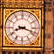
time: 8:18
